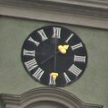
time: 1:37
